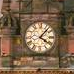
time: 4:07
